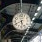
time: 5:40
